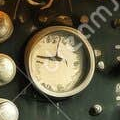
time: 9:01
